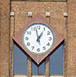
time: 12:57
